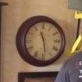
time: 11:28
